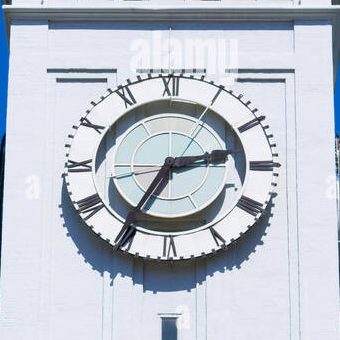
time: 2:35
